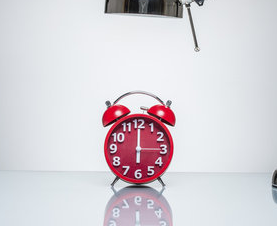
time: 6:00
